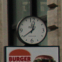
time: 12:38
